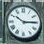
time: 10:14
